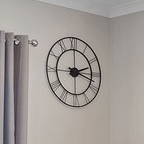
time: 2:18
